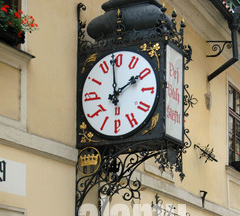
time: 1:58
